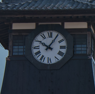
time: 10:05
